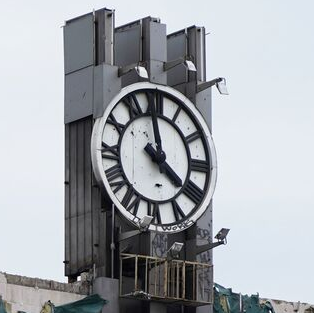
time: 3:58
